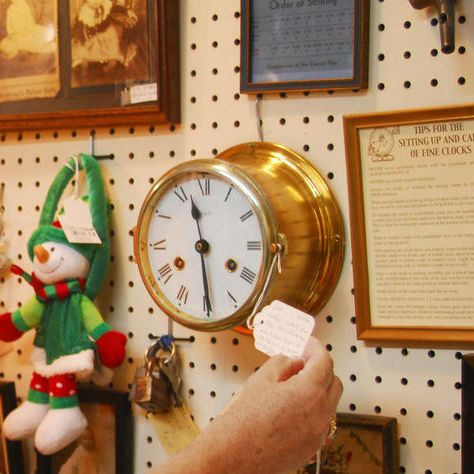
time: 11:29
